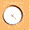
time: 4:22
